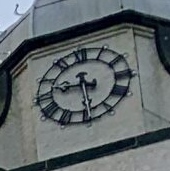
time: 9:29
